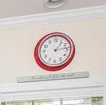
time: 1:13
